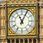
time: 11:04
